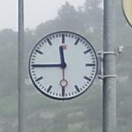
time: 11:45
